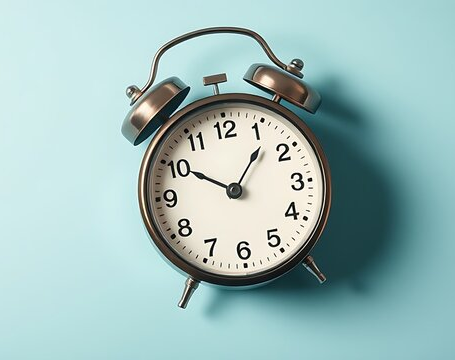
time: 10:06
